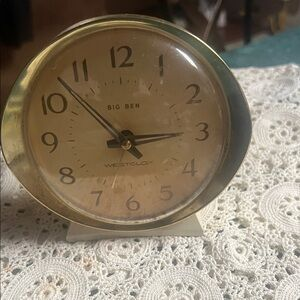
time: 2:52
